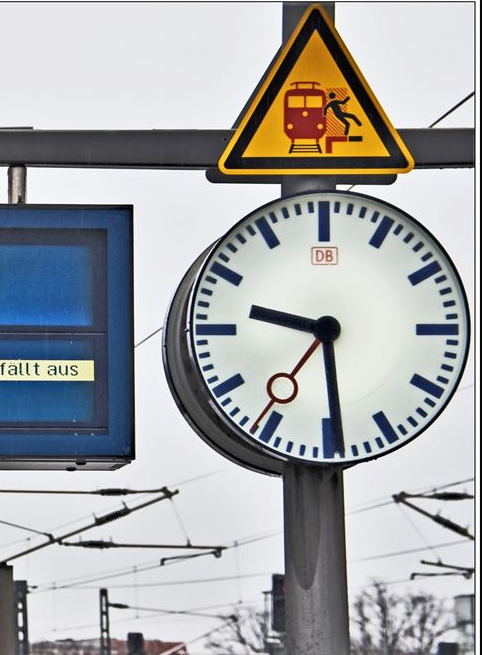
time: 9:29
